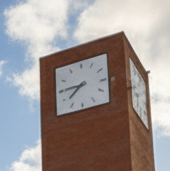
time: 7:45
